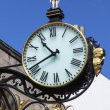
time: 10:41
